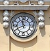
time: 11:41
